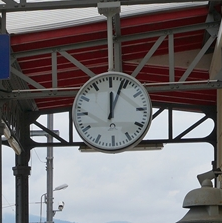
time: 12:03
